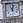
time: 11:02
